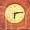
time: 6:13
